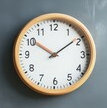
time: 10:08
